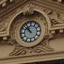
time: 10:52
